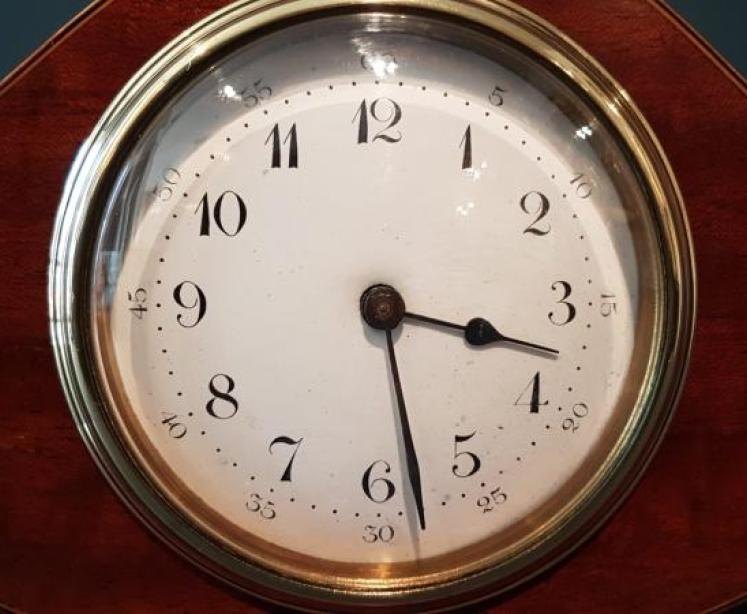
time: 3:28
